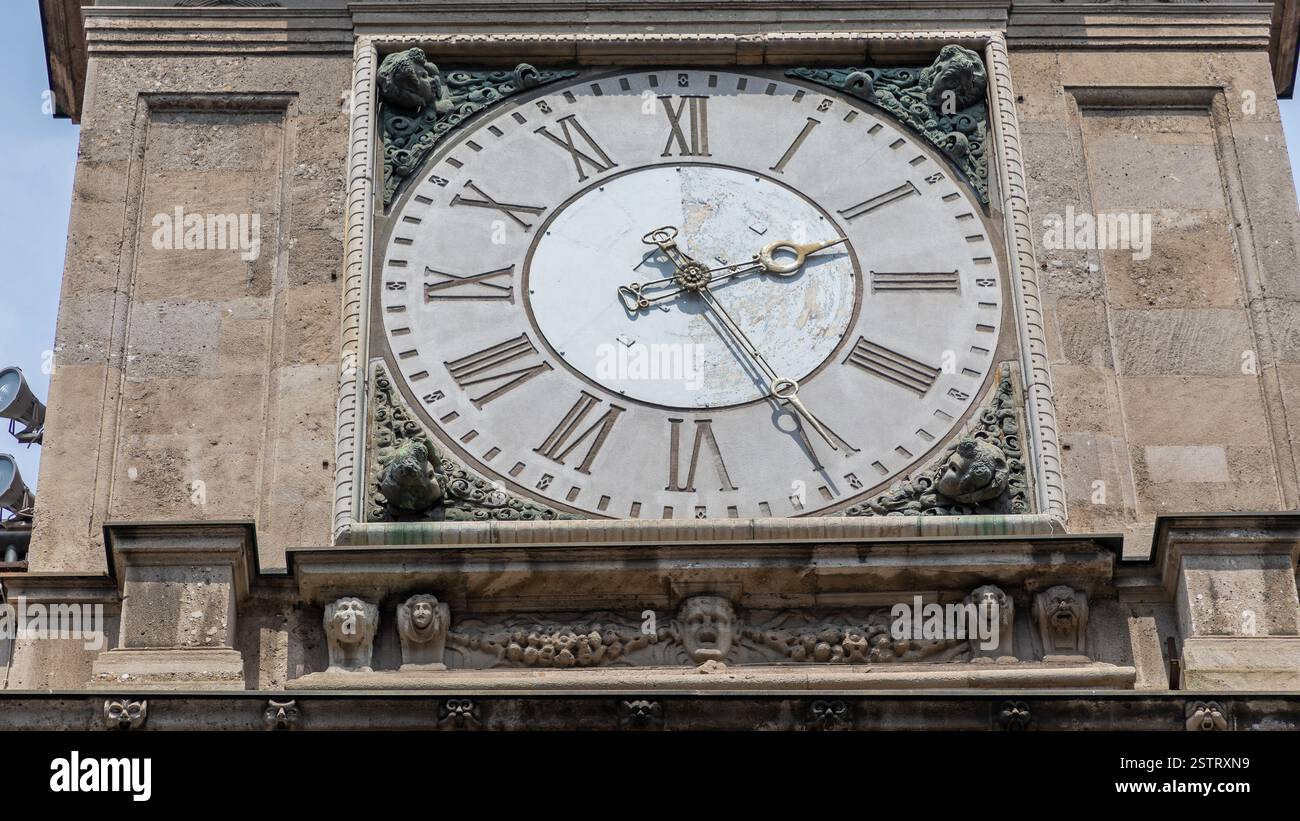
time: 2:25
